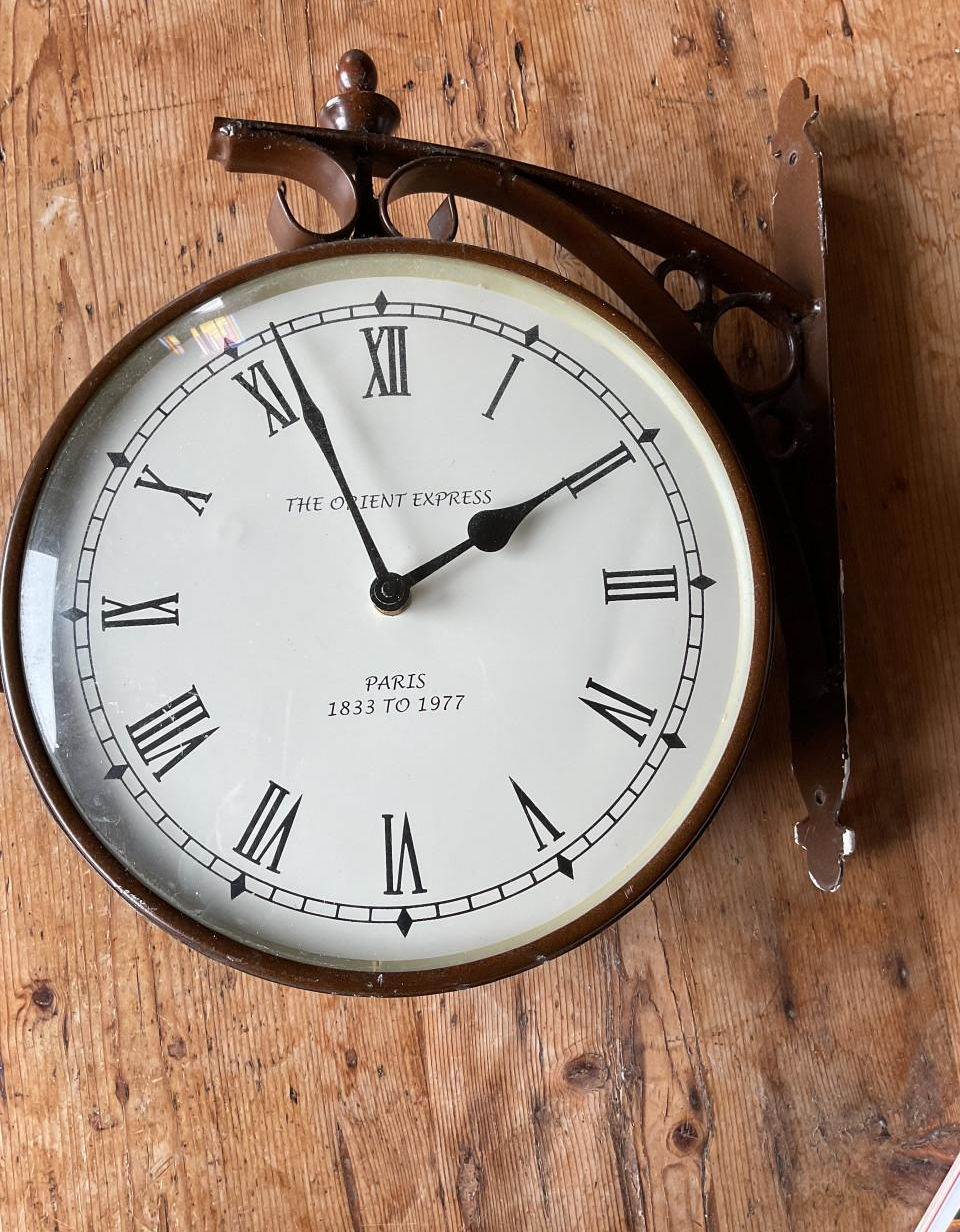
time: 1:56
